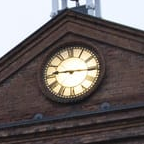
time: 9:15
